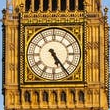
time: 5:24
